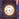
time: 4:42
